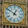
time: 12:51
